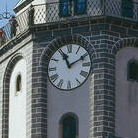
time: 11:10
